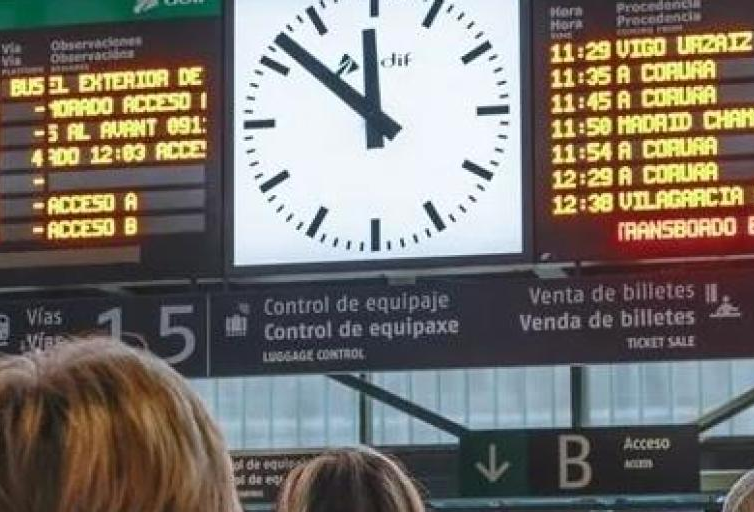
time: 11:51
